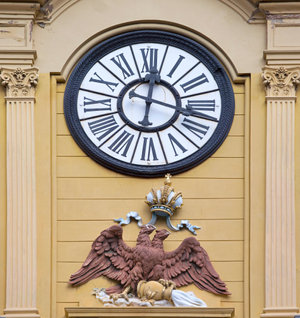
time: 12:17
